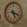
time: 5:18
